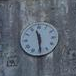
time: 11:29
